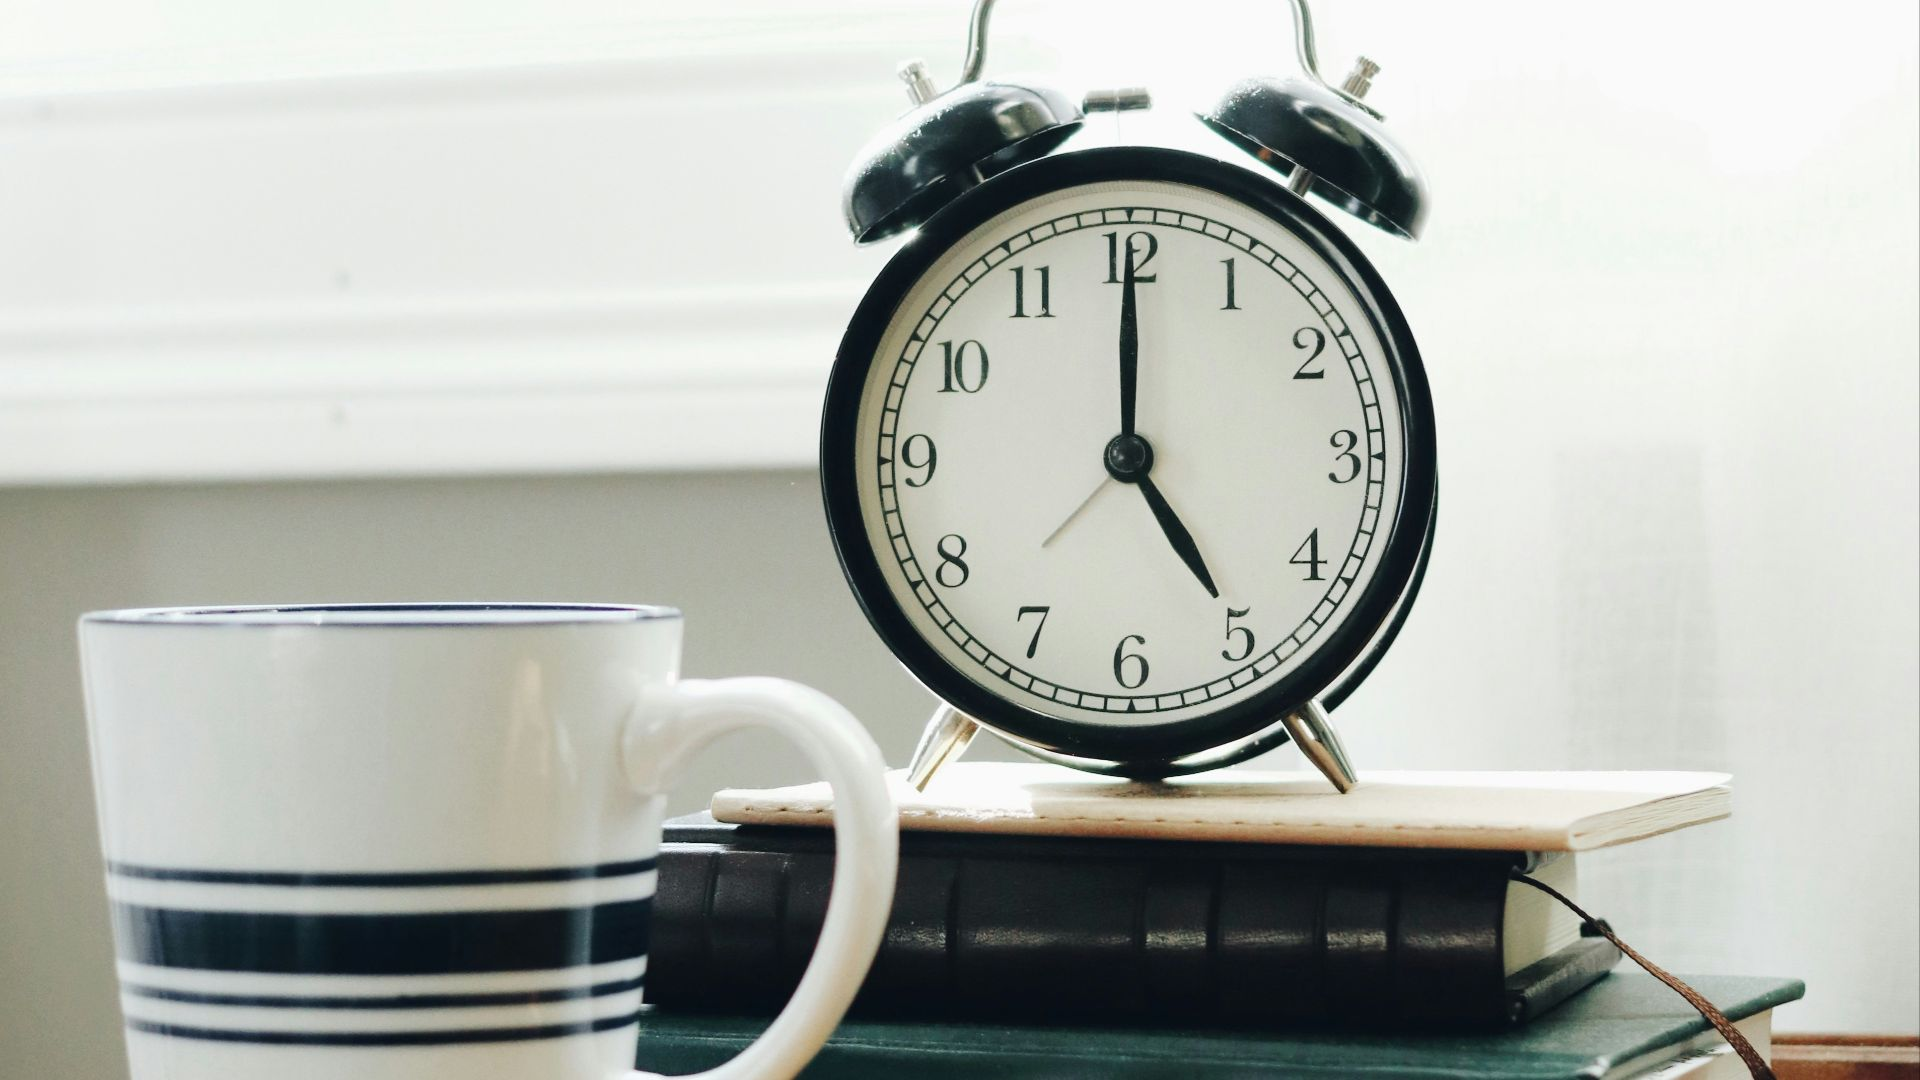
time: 5:00
